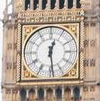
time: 12:28
